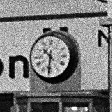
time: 10:31
